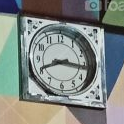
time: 8:16
